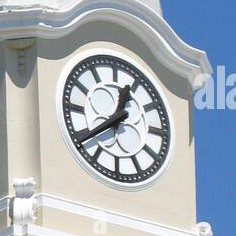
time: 12:38
